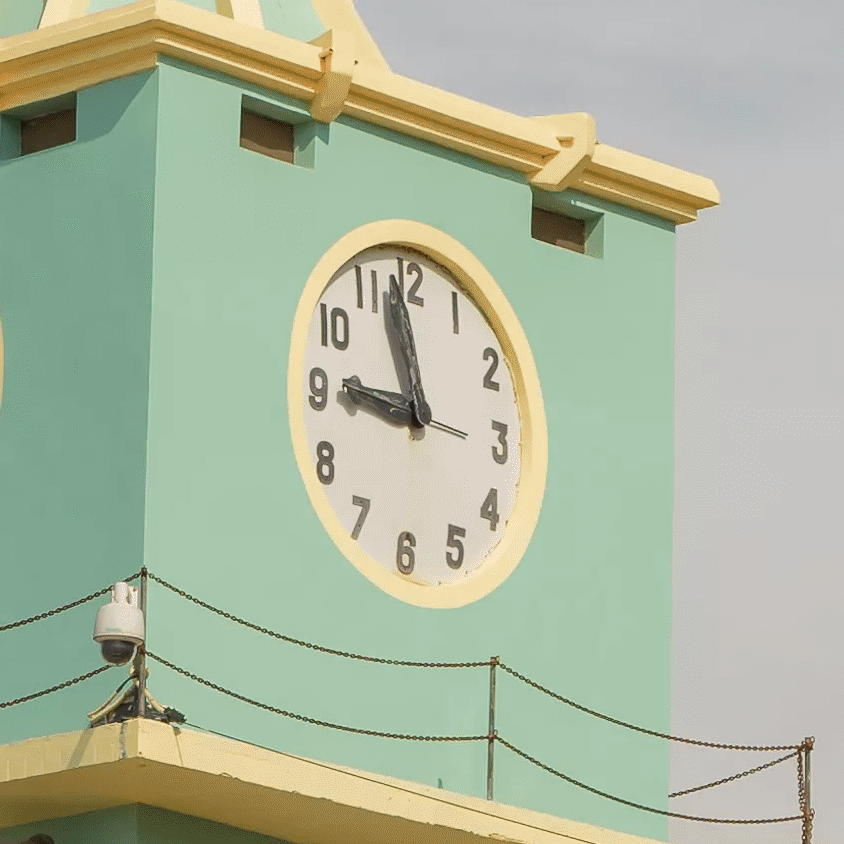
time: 8:57
